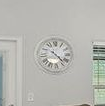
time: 4:22
